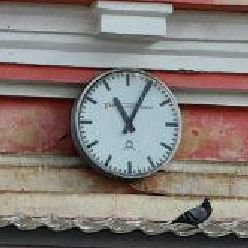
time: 11:04
